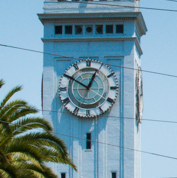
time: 12:50
